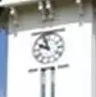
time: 9:57
